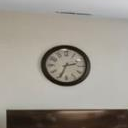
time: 2:33
